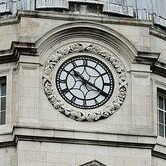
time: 10:20
